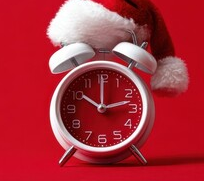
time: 10:12
